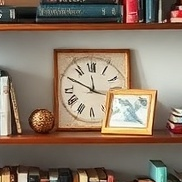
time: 11:49
